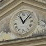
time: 11:07
